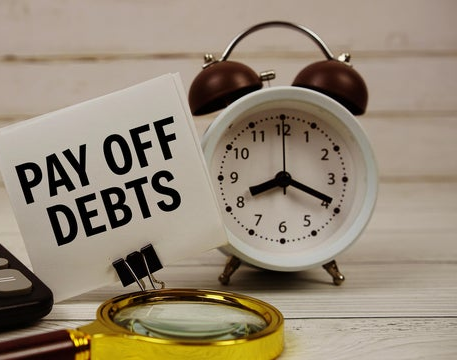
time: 8:19
